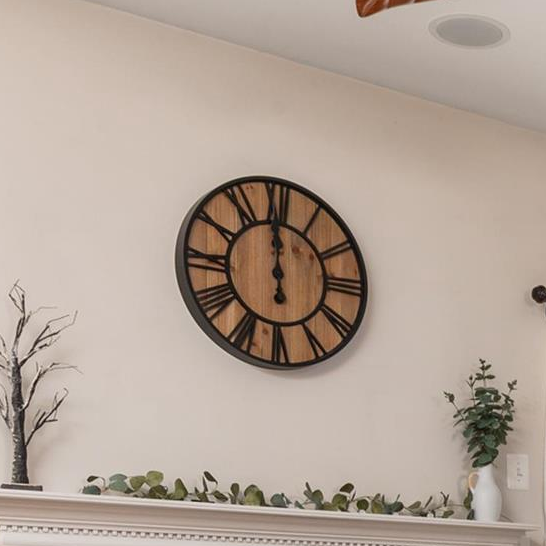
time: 11:59
